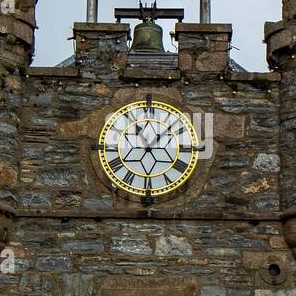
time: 11:07
